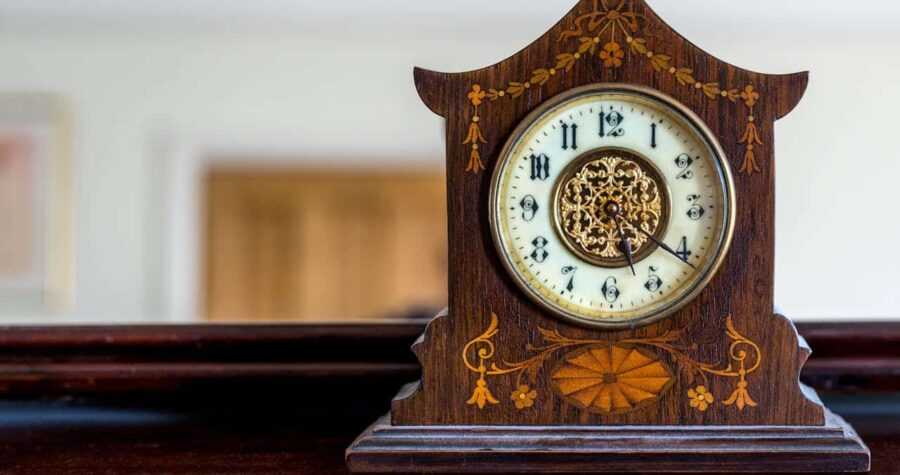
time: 5:20
